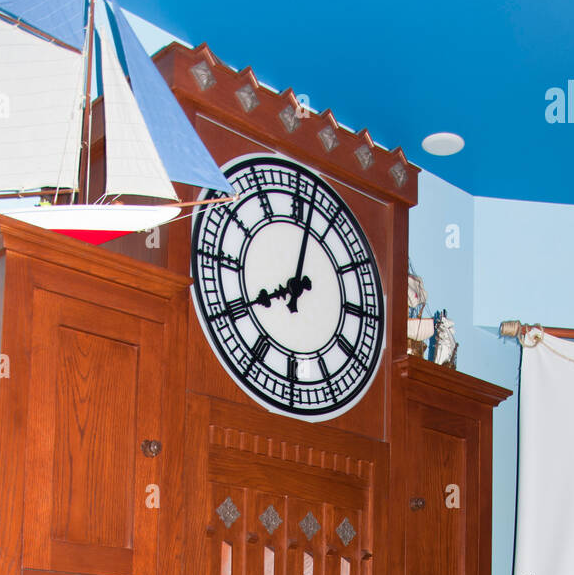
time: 8:01
